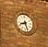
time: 8:27
